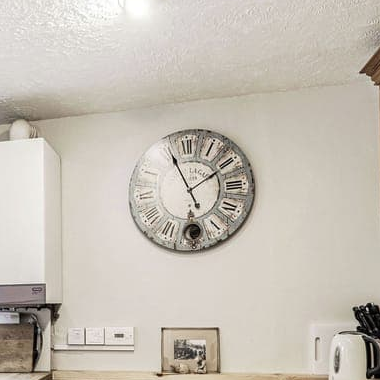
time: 1:55
